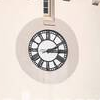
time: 3:10
